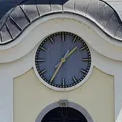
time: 1:35
